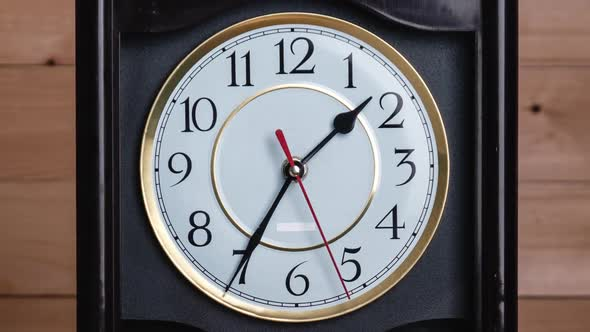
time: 1:35
